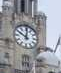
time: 10:00
